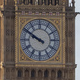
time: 9:50
